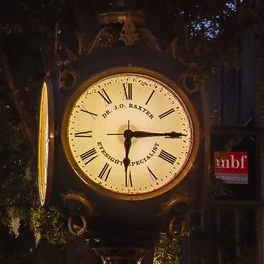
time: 6:14
